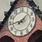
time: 1:43
